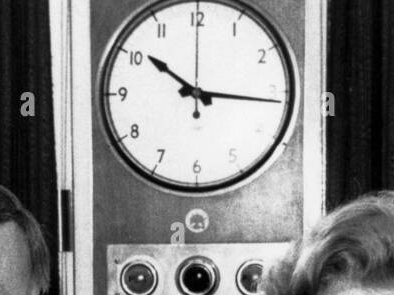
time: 10:15
